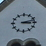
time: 3:12
